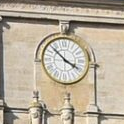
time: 3:52
